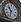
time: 10:32
